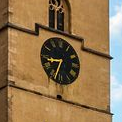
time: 8:33
